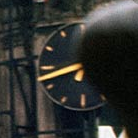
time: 8:42
